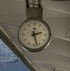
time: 2:27
